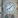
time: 8:07
